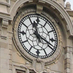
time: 11:18
